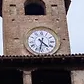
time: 4:31
